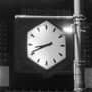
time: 8:41
